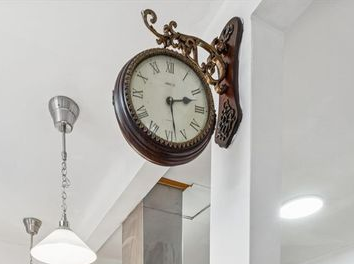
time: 2:28
